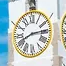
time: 8:14
